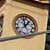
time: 12:57
